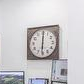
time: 6:00
